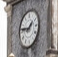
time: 1:46
